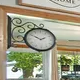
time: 1:50
